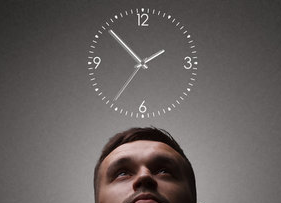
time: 1:52
